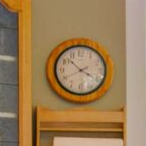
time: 3:52
